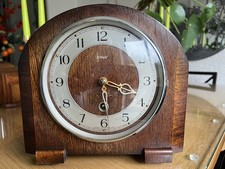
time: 3:29
